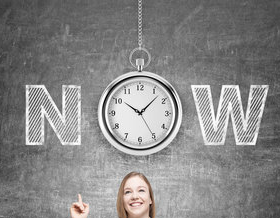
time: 10:07
